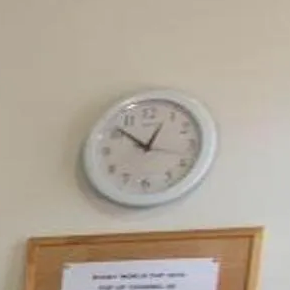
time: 12:51
